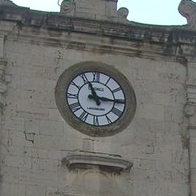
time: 11:15
